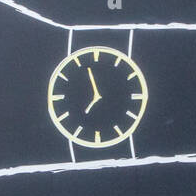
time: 6:57
